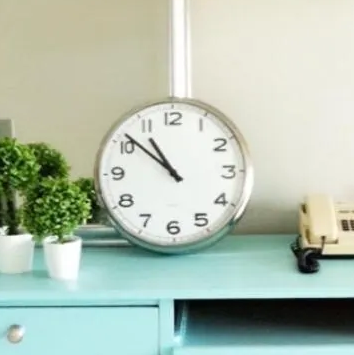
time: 10:51
